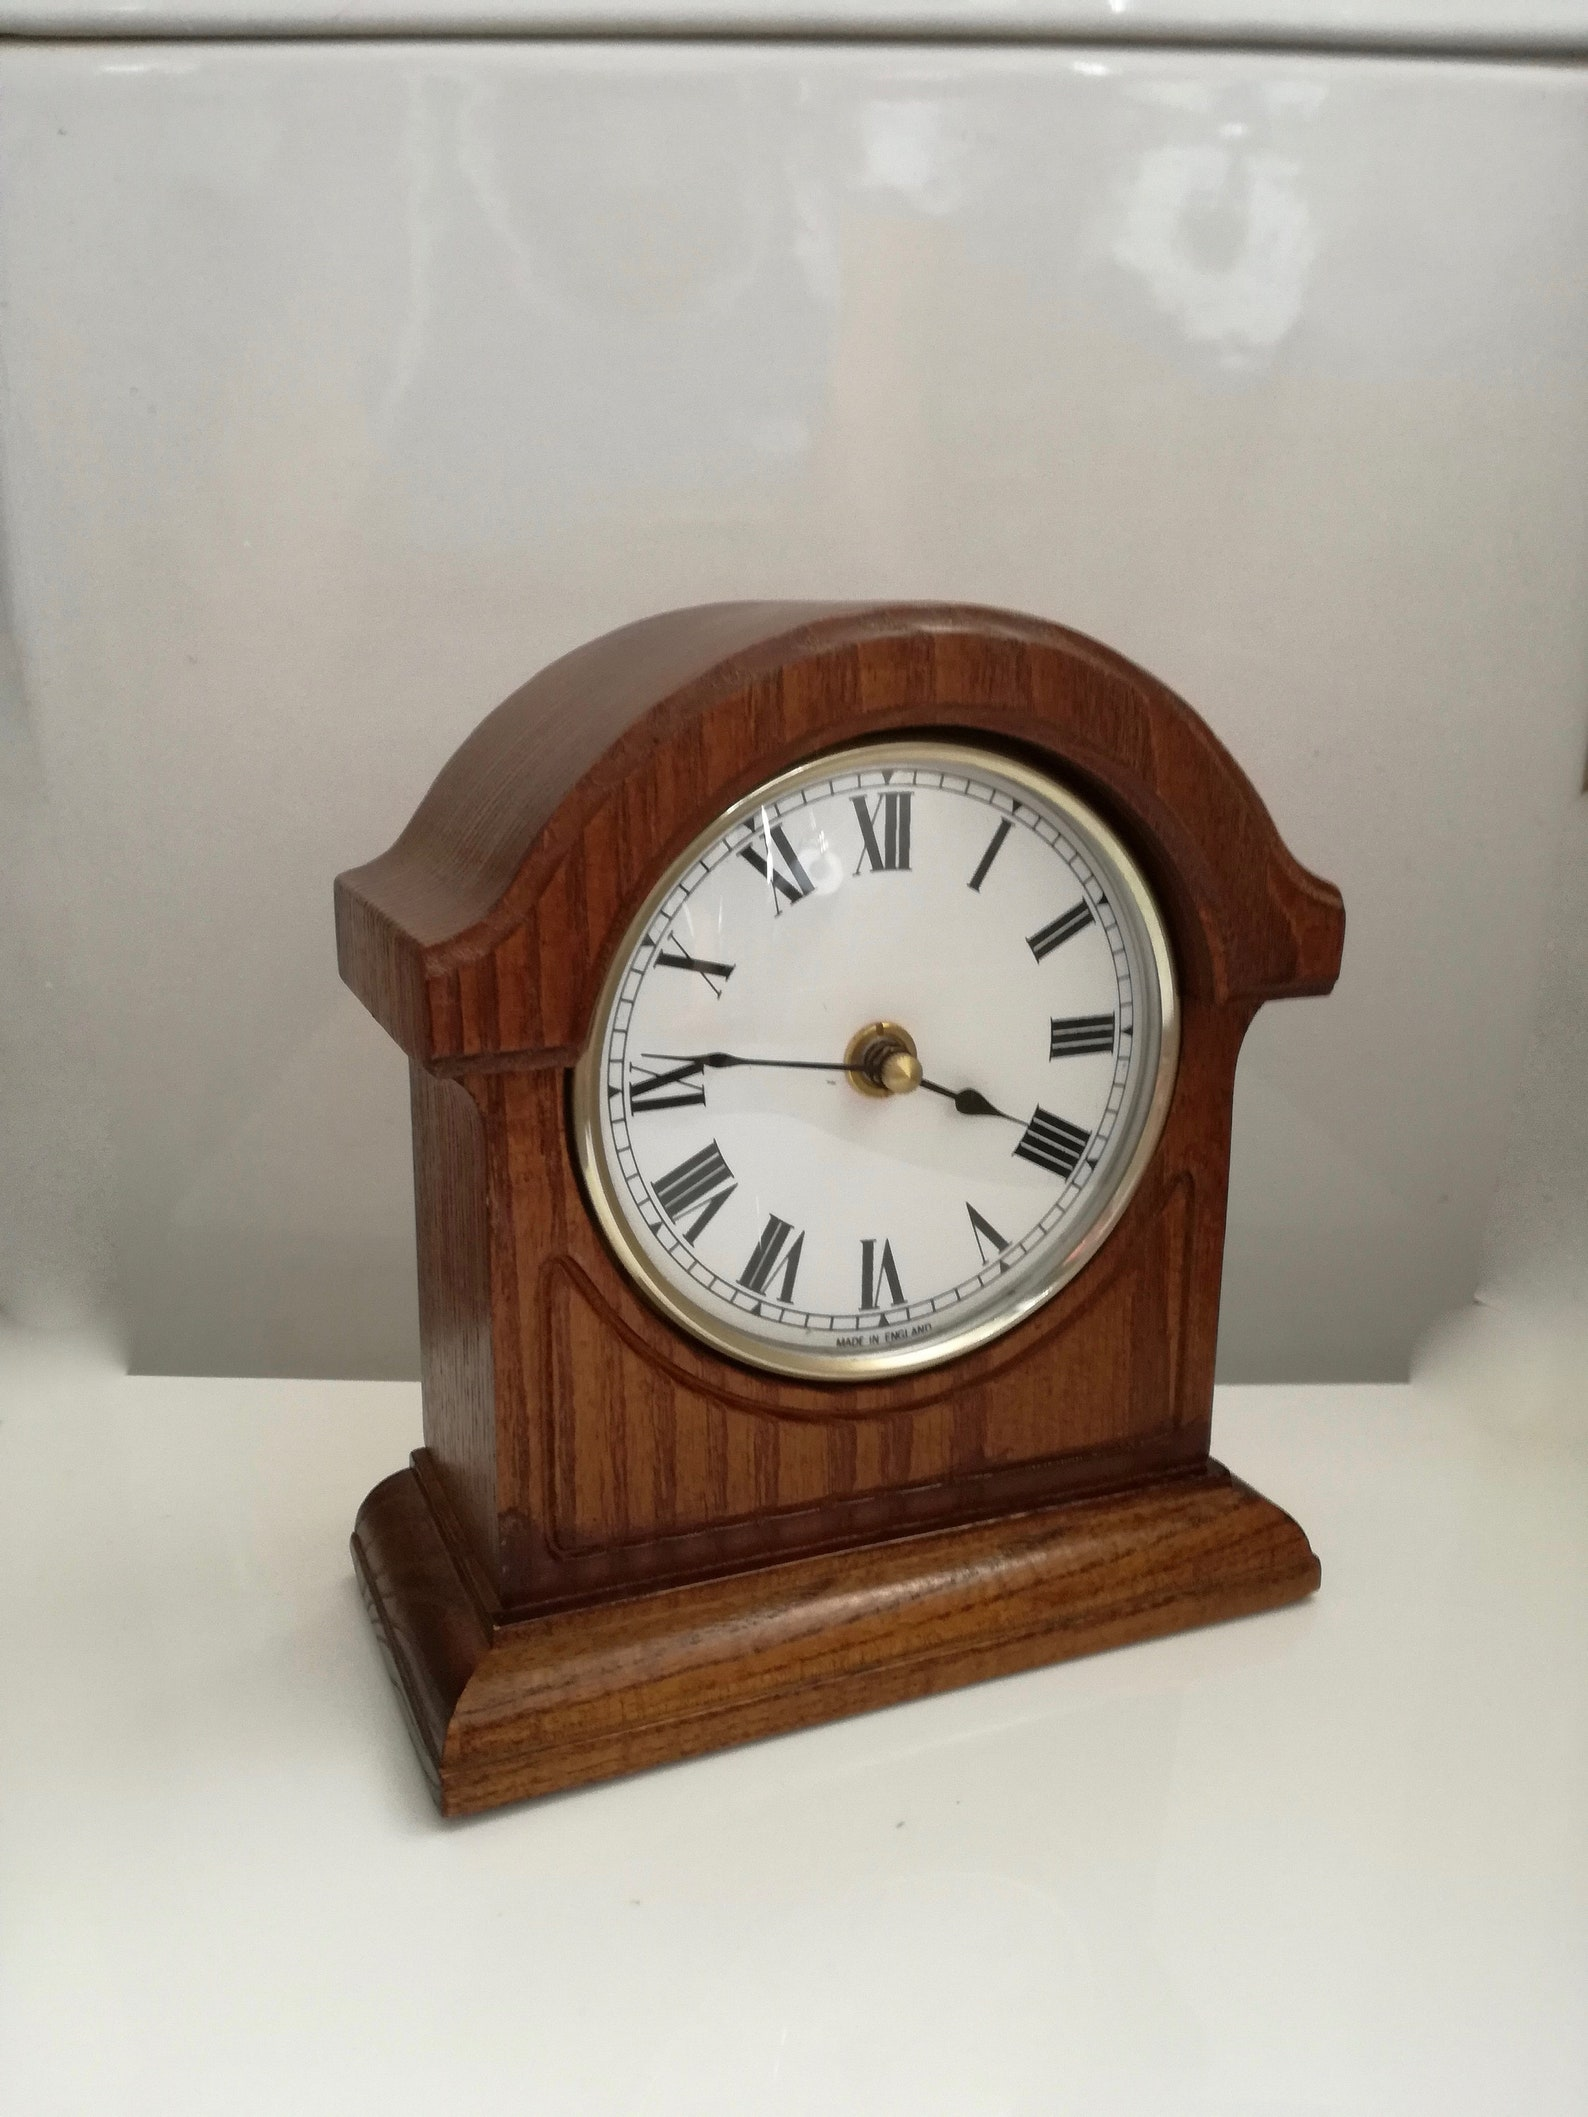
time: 3:45
